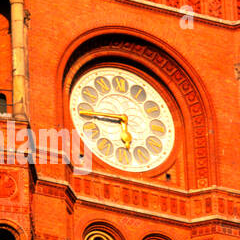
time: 5:44
